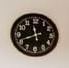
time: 11:41
